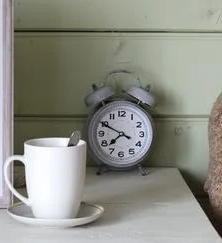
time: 7:49
